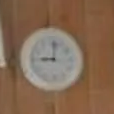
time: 9:01
